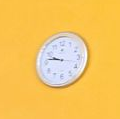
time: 9:47
